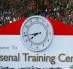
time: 7:43
